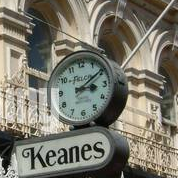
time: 3:09
